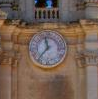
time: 11:36
